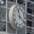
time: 11:22
